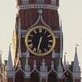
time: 6:32
